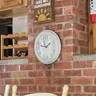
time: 1:47
